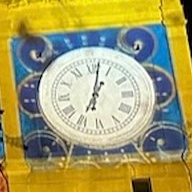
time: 7:01
